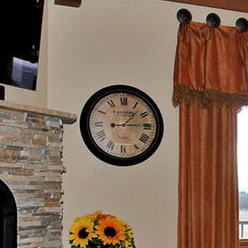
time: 1:14
